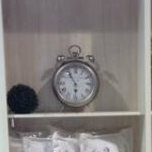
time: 5:54
